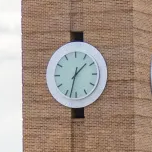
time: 1:32
